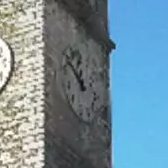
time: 12:52
